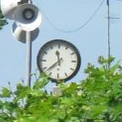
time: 11:37
